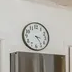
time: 3:23
